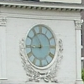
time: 8:54
